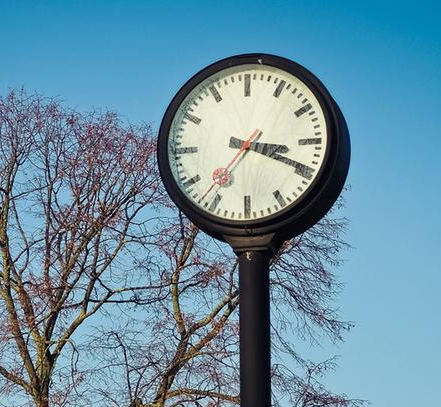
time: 3:19
